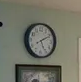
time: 5:10
